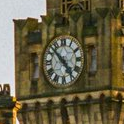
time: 4:52
